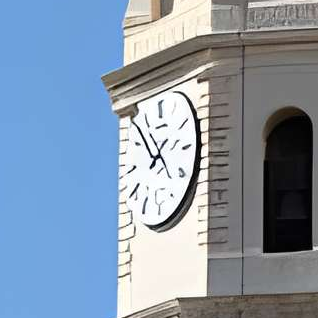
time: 1:53
